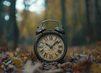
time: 10:07
